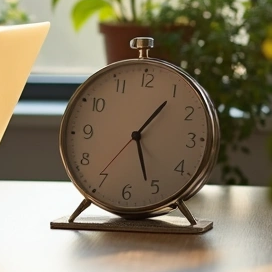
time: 1:26
